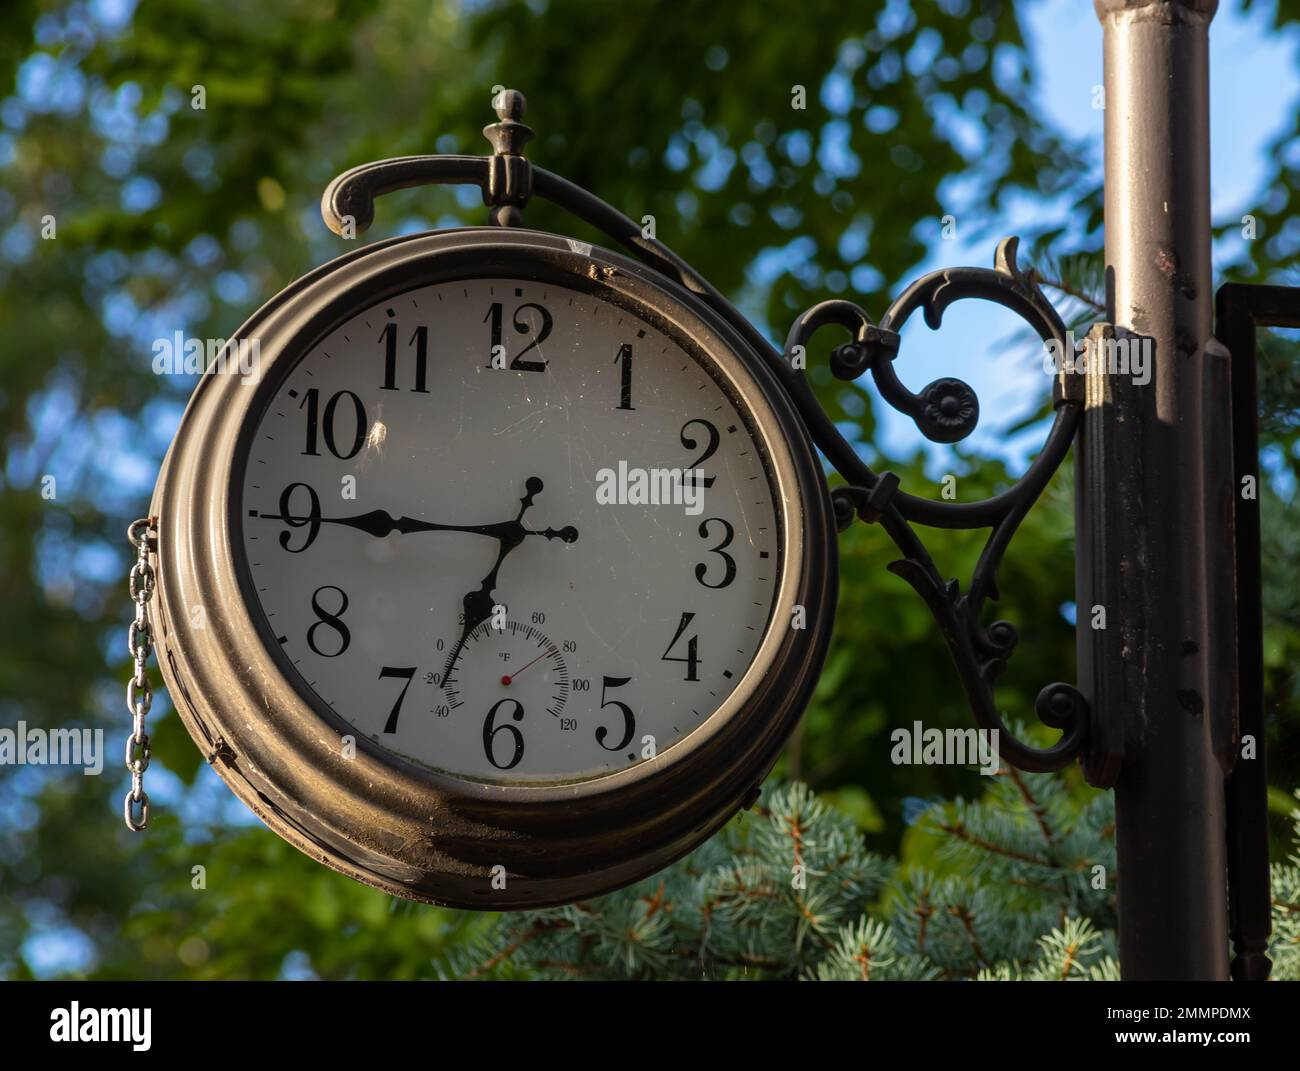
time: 6:45
